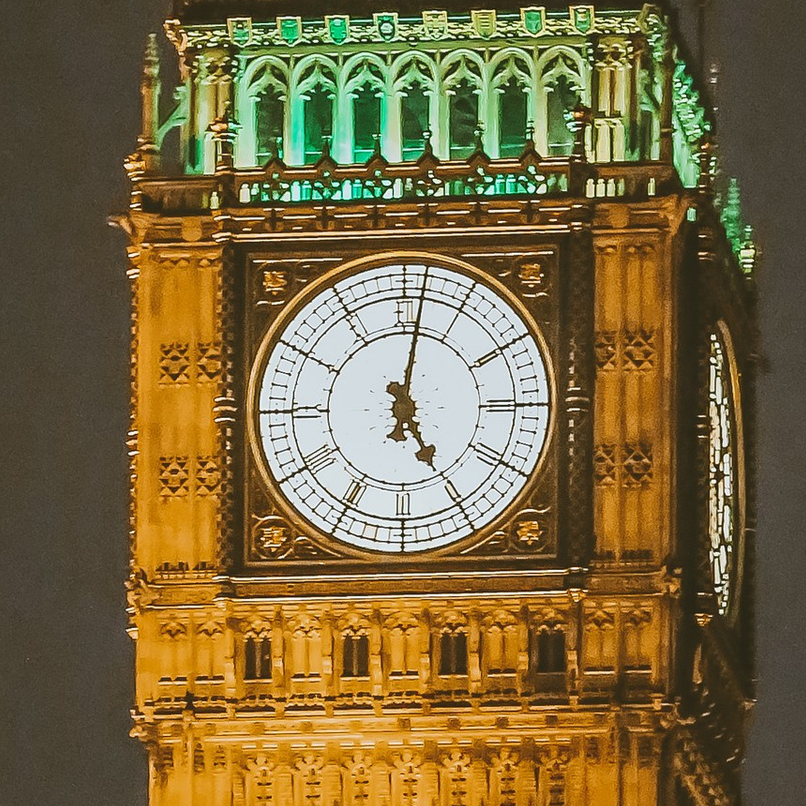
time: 5:01
